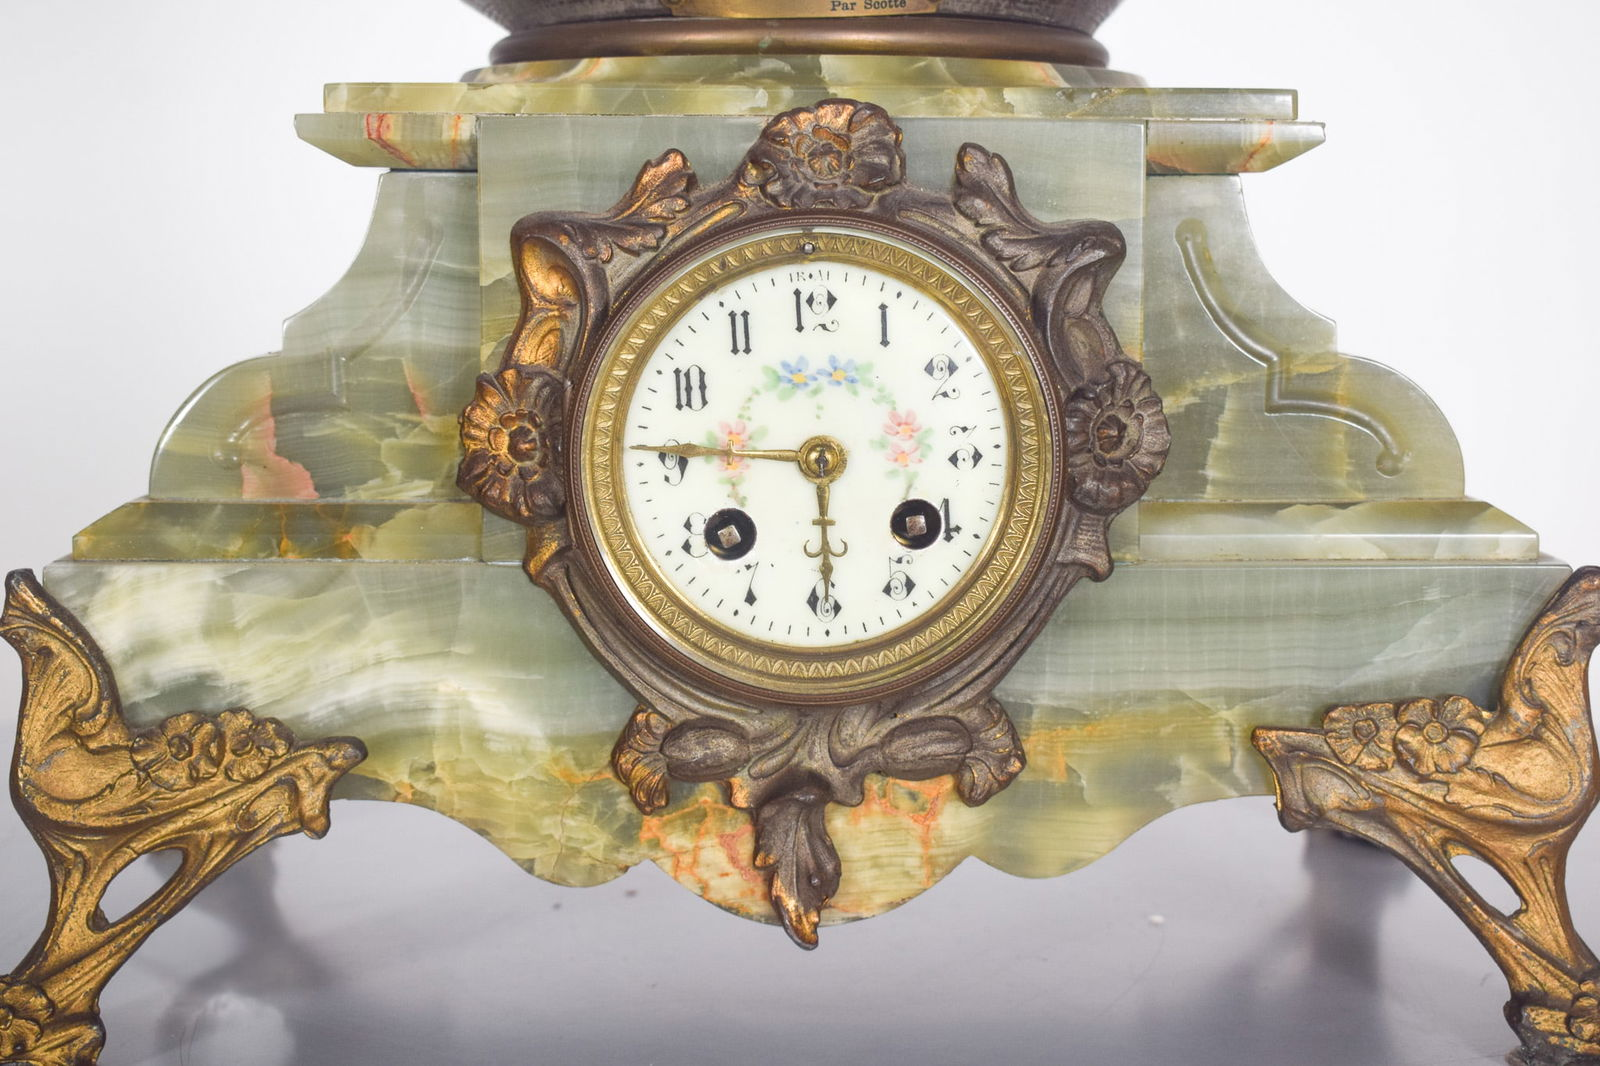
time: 5:45
